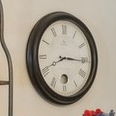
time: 8:15
